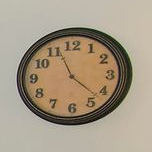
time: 11:22
